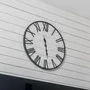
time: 11:28
